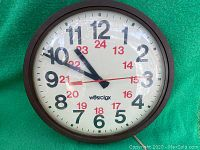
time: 10:49
